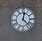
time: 12:22
